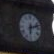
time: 6:12
